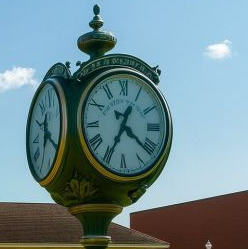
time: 4:34
